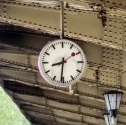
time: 8:31
